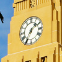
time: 1:35
